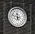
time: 11:47
